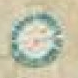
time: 7:12
